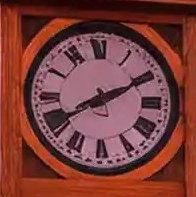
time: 8:10
